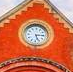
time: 5:14
